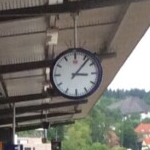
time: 3:06
